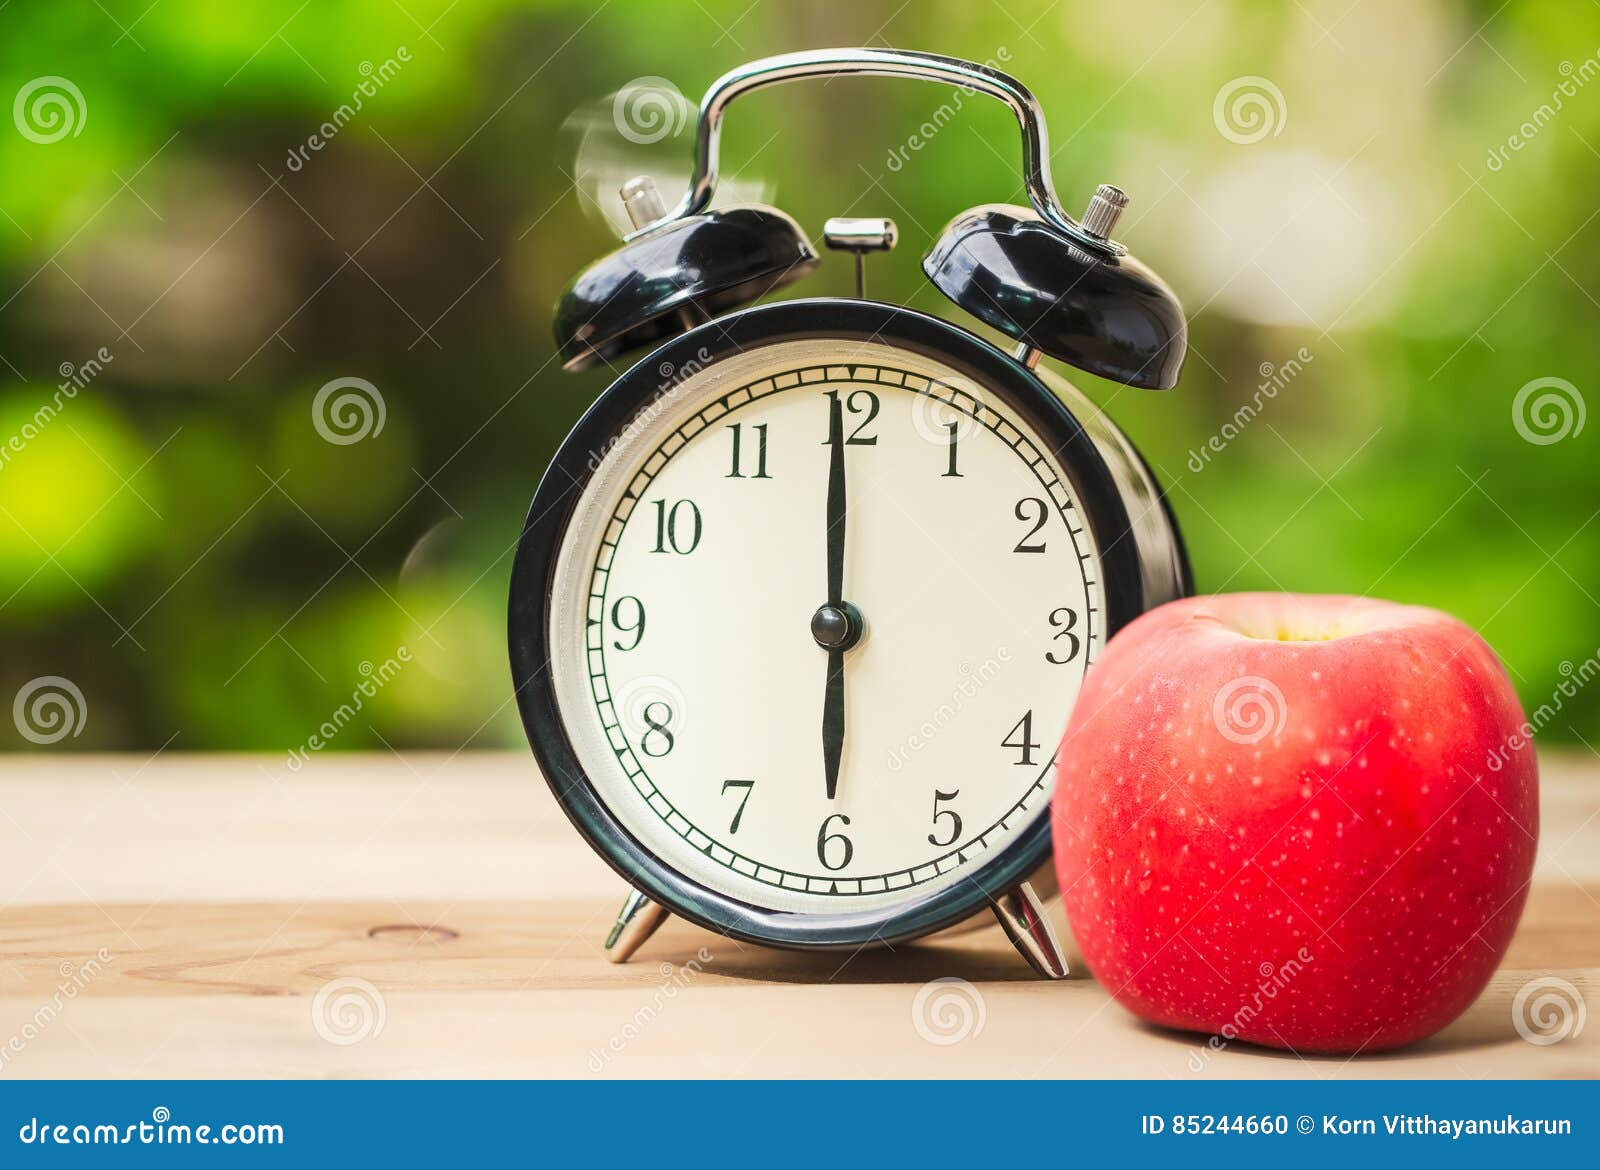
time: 5:59
